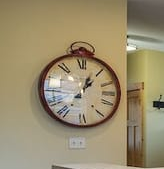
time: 1:02
